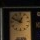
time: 12:49
